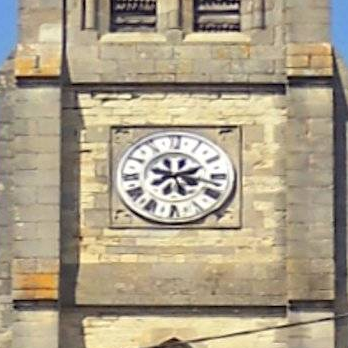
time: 2:18
